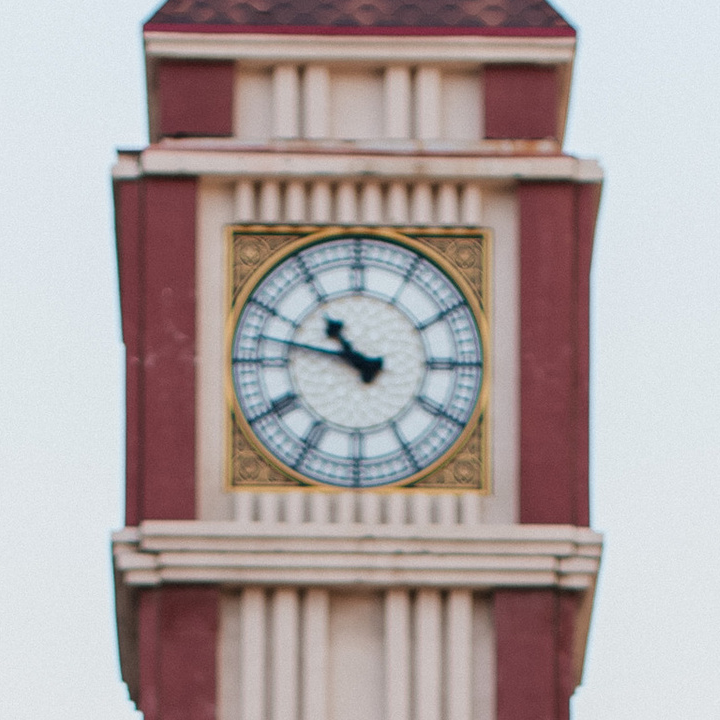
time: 10:47
